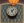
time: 1:26
